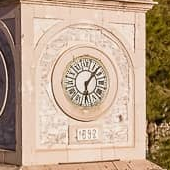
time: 6:06
